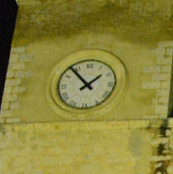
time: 1:53
